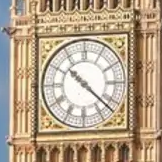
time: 10:21
